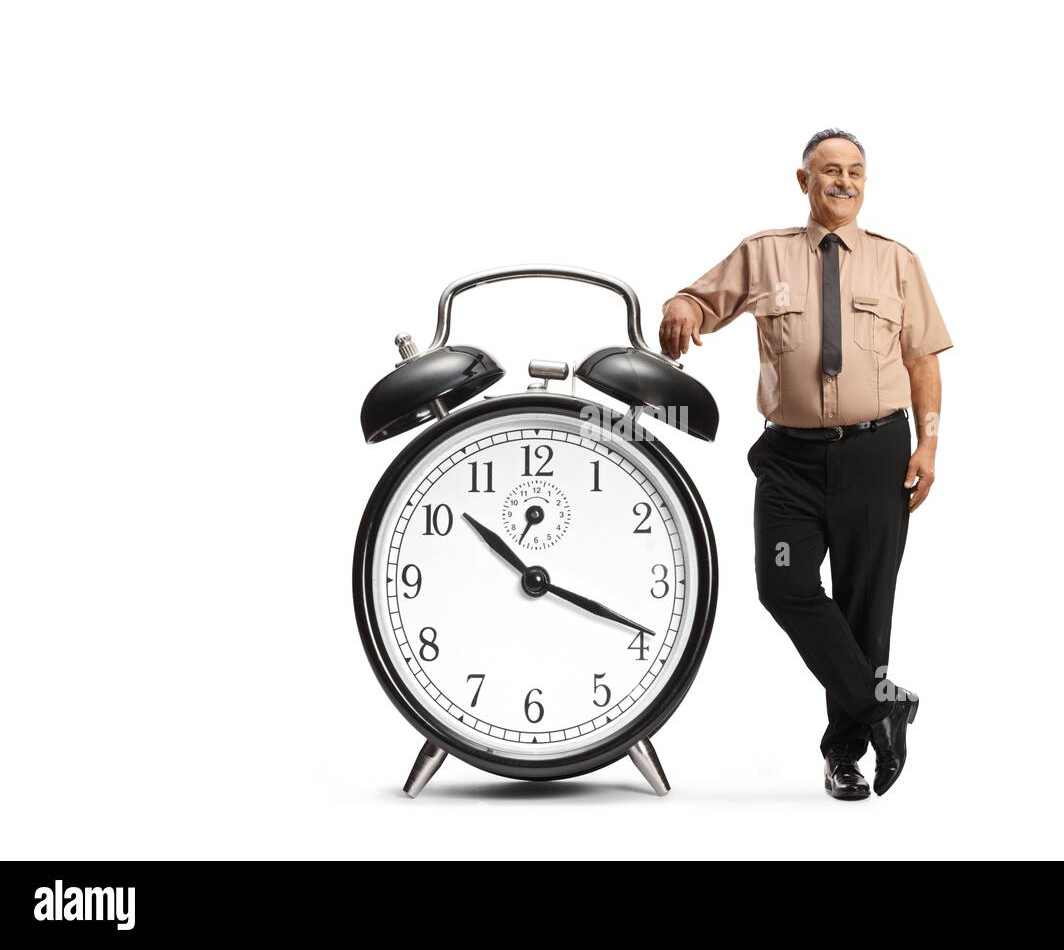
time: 10:18
